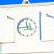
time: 11:45
